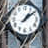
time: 1:08
